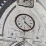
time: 11:21
